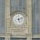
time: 5:11
